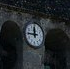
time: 11:45
